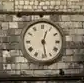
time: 12:28
